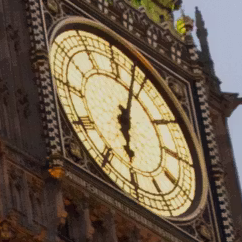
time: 6:03
